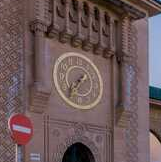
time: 1:36
